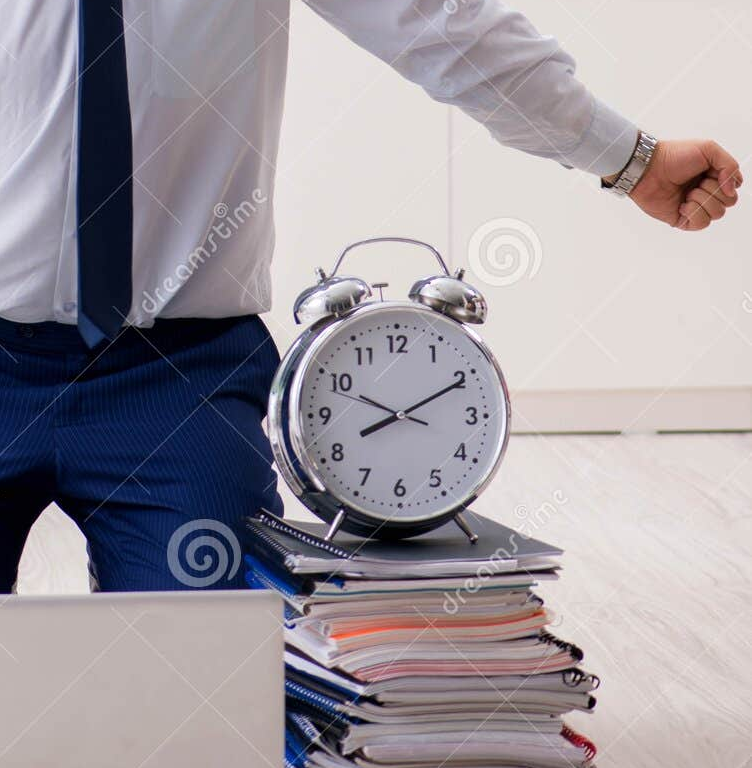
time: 8:10
